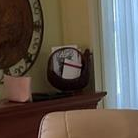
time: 6:17
